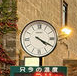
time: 4:19
